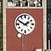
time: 1:49
